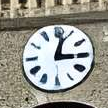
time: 3:02
